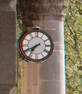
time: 7:40
